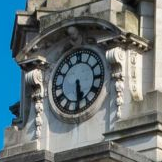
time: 5:29
